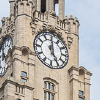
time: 5:00
